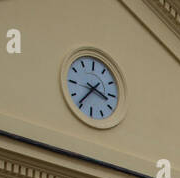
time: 3:36
